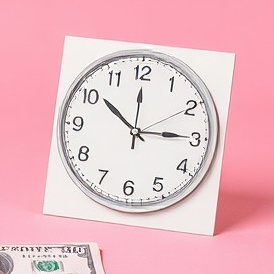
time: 10:14
